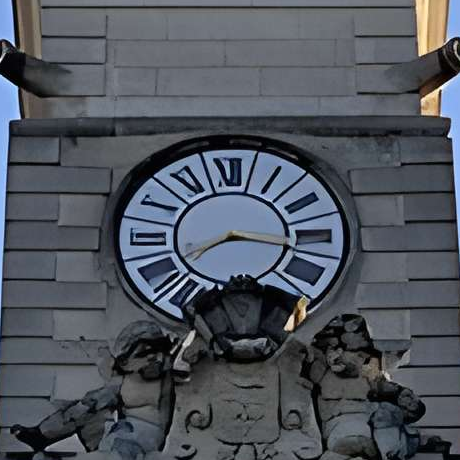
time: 8:16
